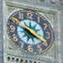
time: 3:48
